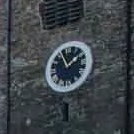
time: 1:56
